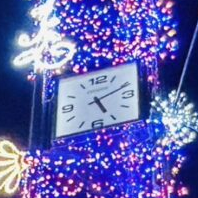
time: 5:11
